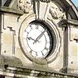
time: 9:07
